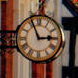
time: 2:56
